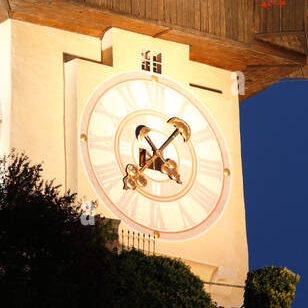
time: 4:07
